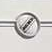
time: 7:07
